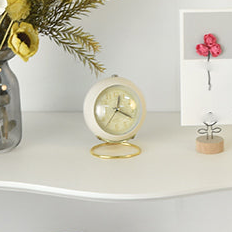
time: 12:19
